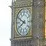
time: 7:49
